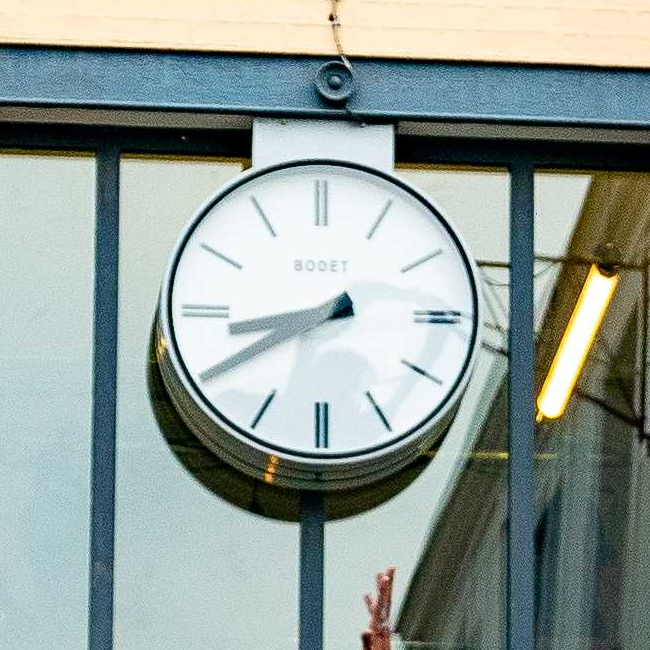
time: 8:40
